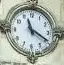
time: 11:20
